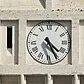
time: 4:25
